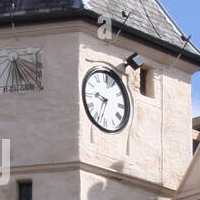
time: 9:33
